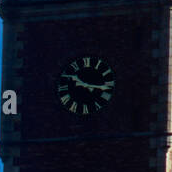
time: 10:16
